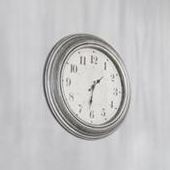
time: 1:31
